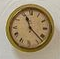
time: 11:22
